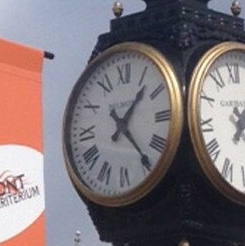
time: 1:23
